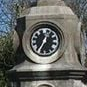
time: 12:34
